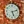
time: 5:11
